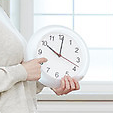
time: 10:01
